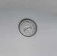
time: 8:12
